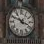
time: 3:49
